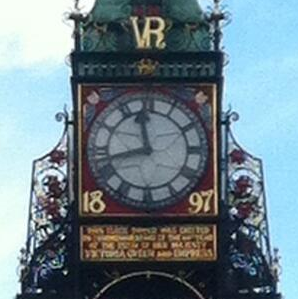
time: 11:42
